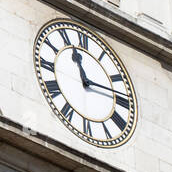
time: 11:13
